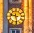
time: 9:28
